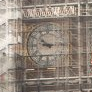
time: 10:14
